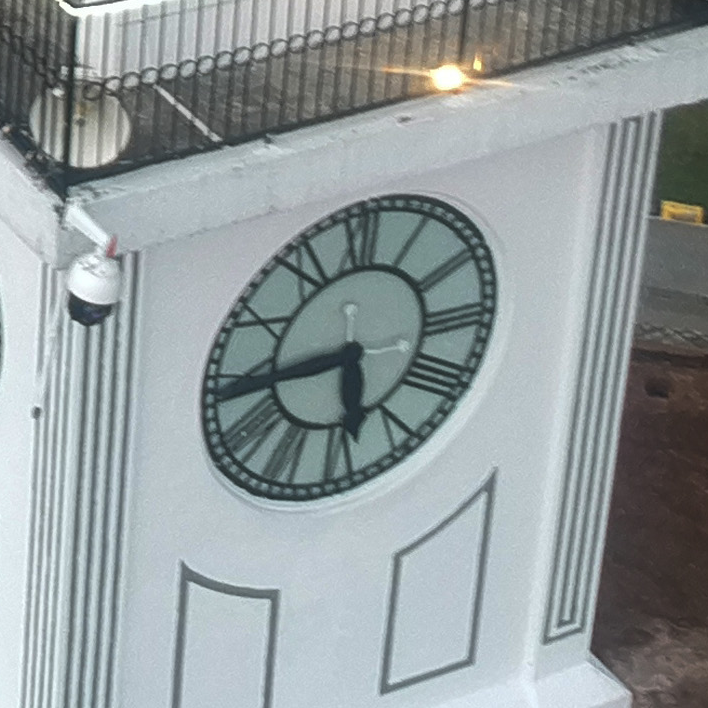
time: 5:44
